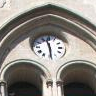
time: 11:29
